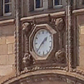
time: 1:37
